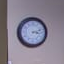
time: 3:12
